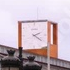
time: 2:21
